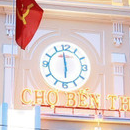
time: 5:58
